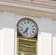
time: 6:34
